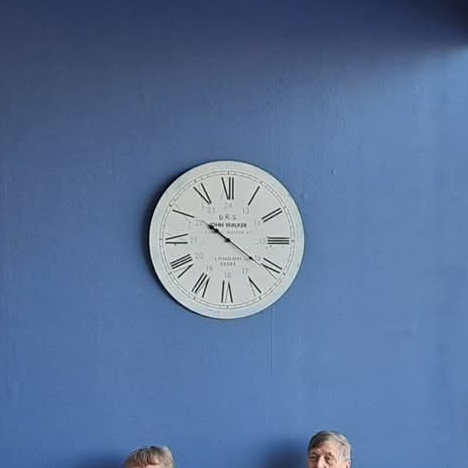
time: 10:20
